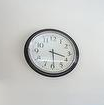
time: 3:29
